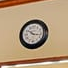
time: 10:17
